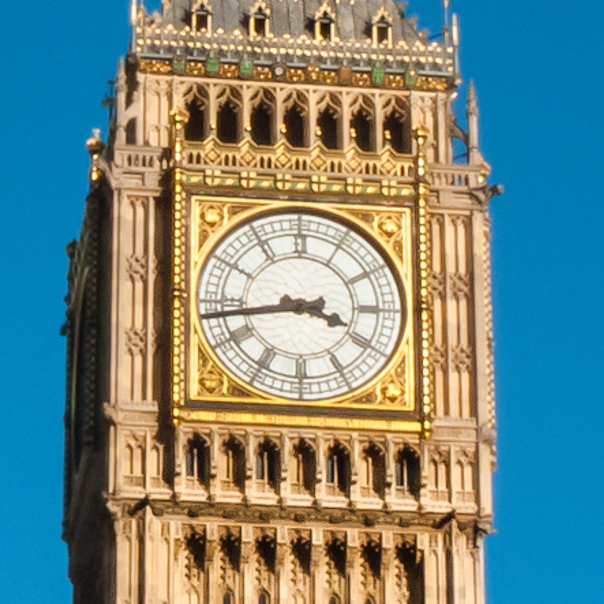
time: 3:43
